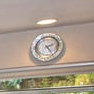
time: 2:24
